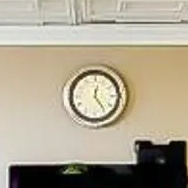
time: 12:24
